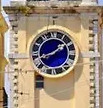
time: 1:41
